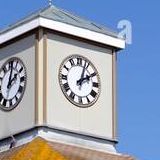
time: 2:03
